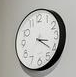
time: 3:20
